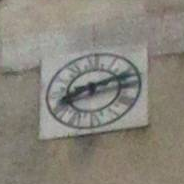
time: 8:12
